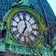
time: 6:58
